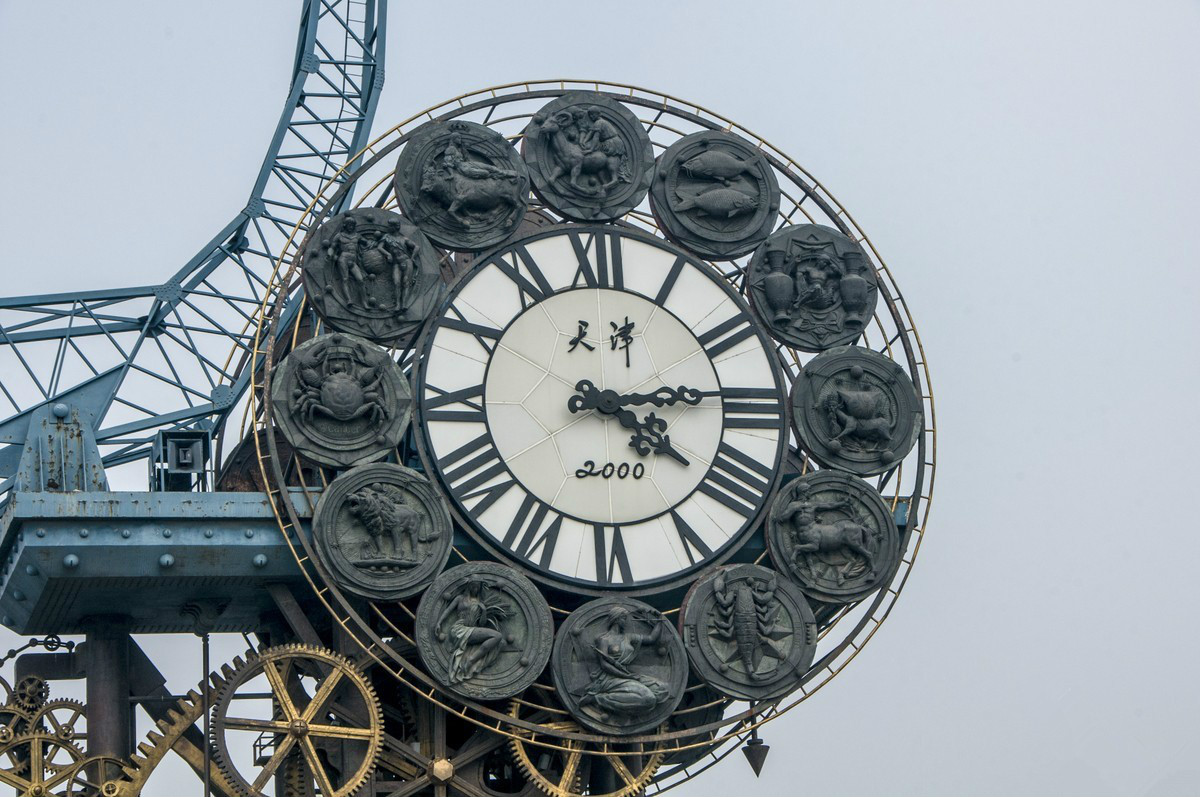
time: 4:13
